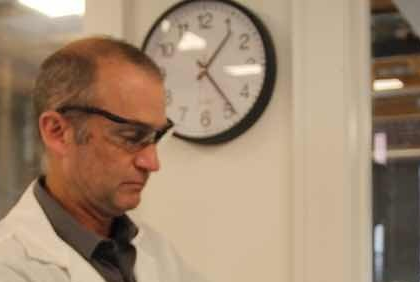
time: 1:23
